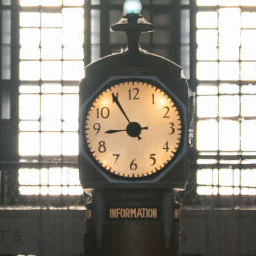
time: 8:54
